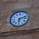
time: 6:11
